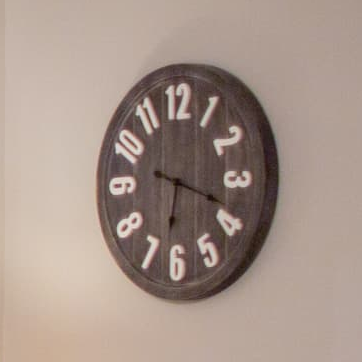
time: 6:18
